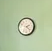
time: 2:22
